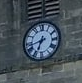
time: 6:42
